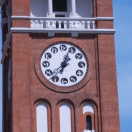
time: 7:03
